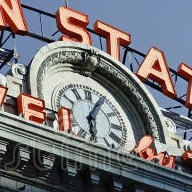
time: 6:05
